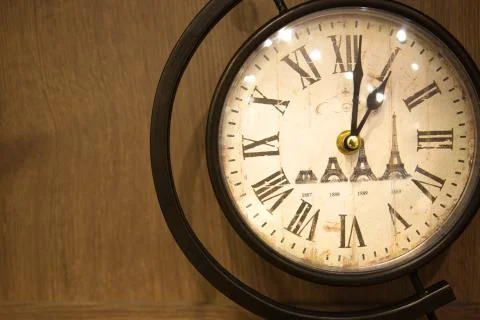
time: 1:01
